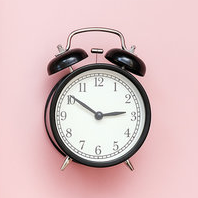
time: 2:50
